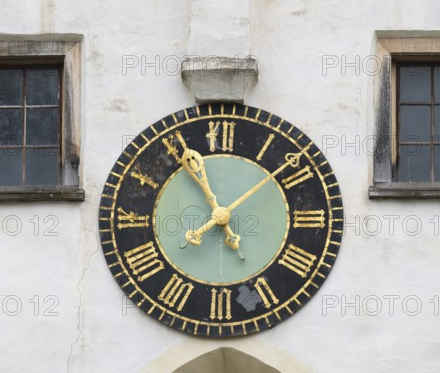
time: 7:55
